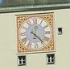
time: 12:22
